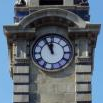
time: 11:55
